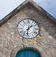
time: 1:32
